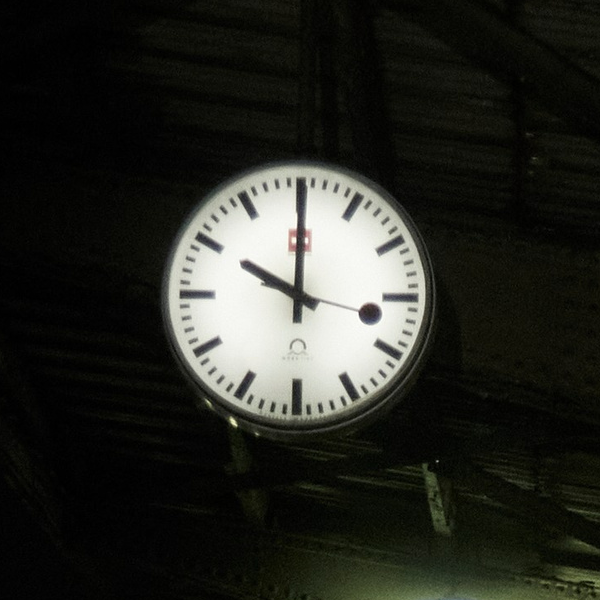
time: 10:00
